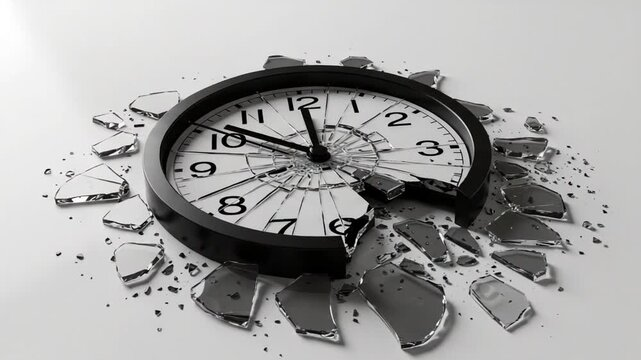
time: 11:51
